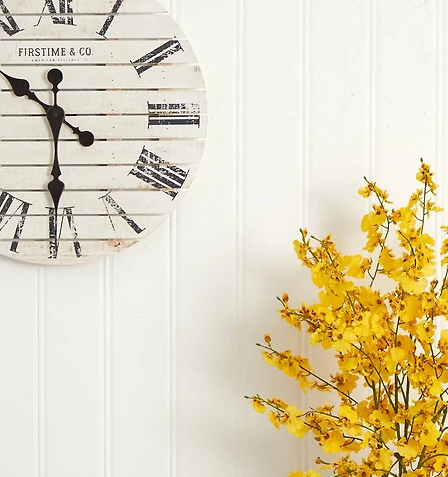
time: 10:30
